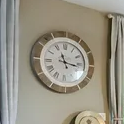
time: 11:16
